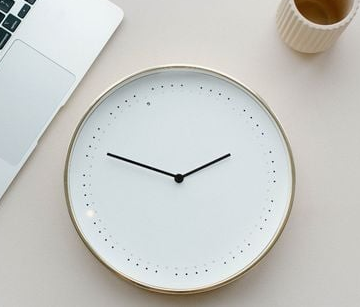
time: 1:47
